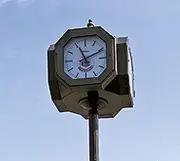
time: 11:10
